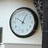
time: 10:03
